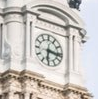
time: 6:16
